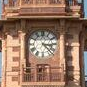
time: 3:22
